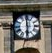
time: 5:59
